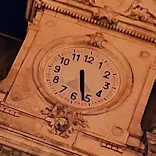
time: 5:26
